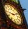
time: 9:11
